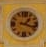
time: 1:18
